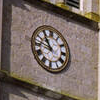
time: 10:47
